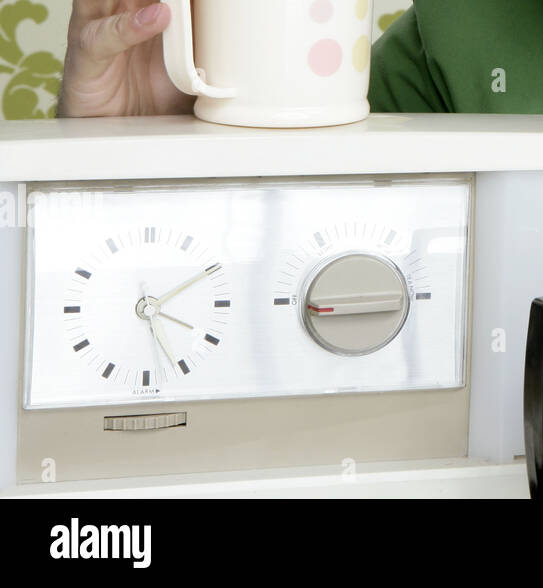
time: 4:10
